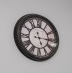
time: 5:15
